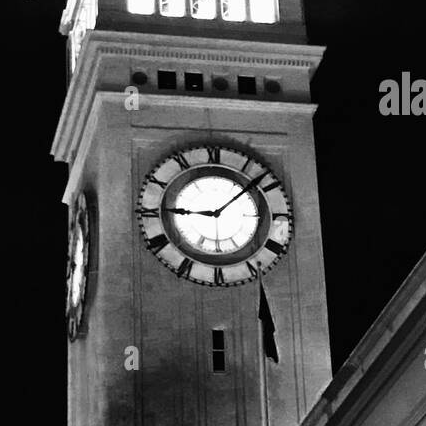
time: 9:08
